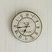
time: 6:43
